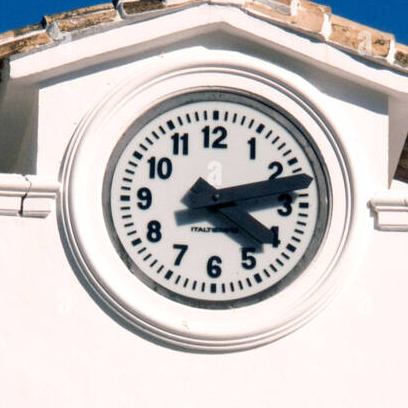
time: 4:12
